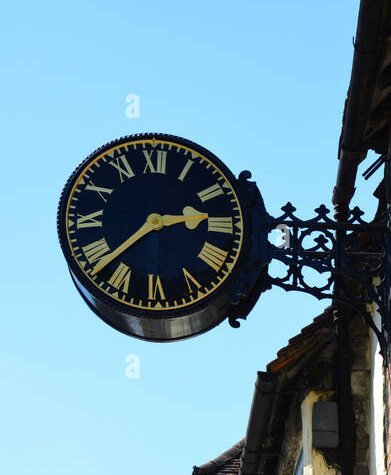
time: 2:37
